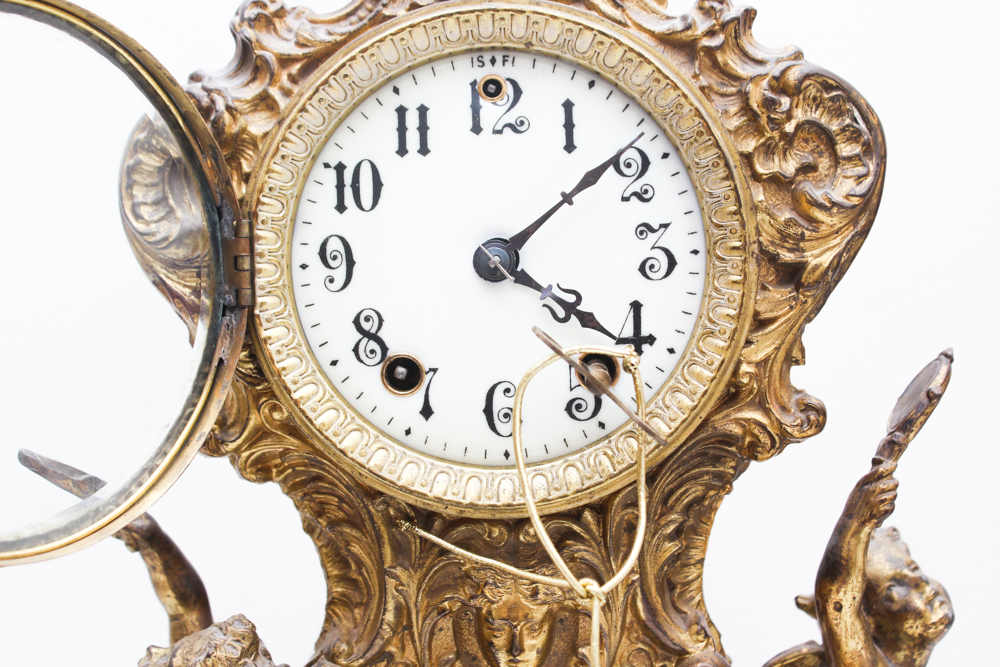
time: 4:08
